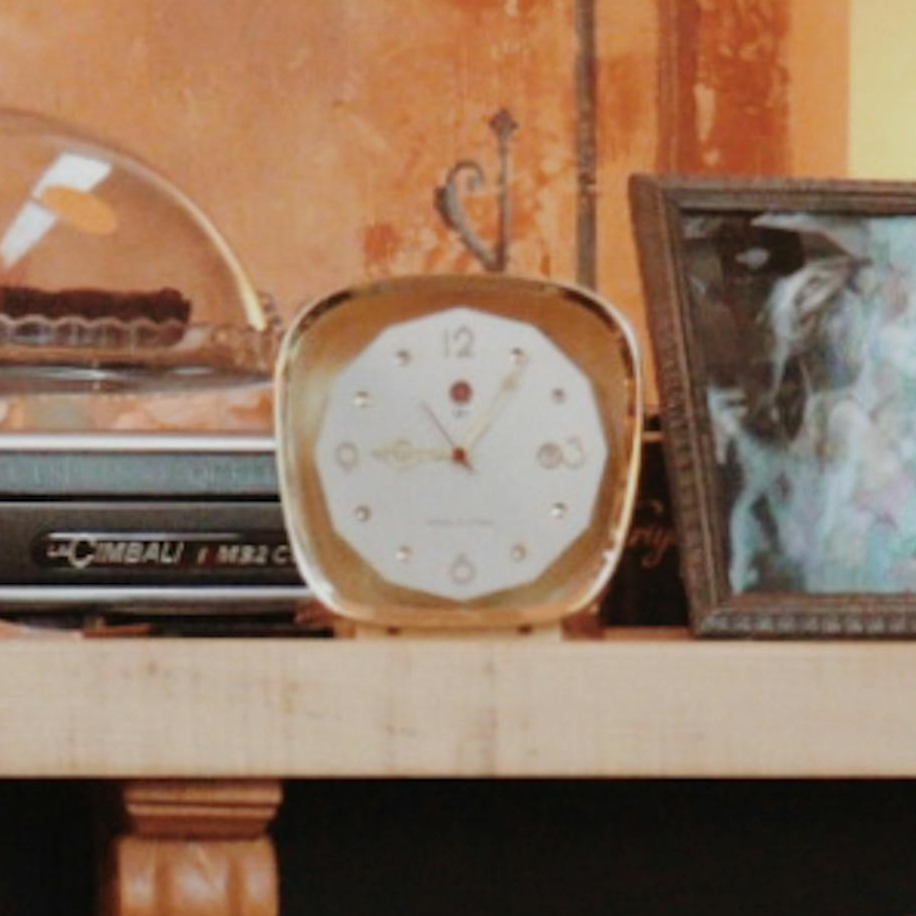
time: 9:05
